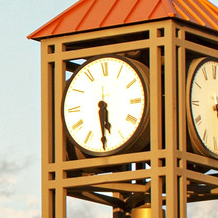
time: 5:29
